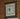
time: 9:01
